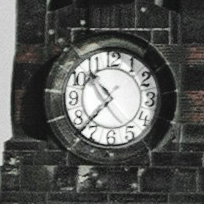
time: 10:37
